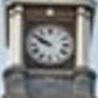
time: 9:50
